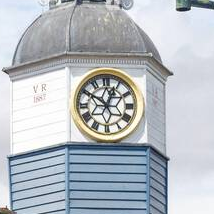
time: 12:50
